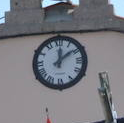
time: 12:08
